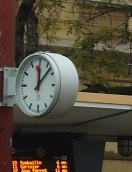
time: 12:07
